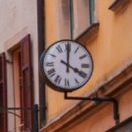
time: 4:00
